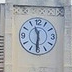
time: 11:31
